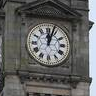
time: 12:03
